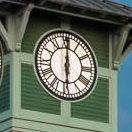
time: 6:00
